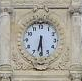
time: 6:29
